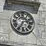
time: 7:12
